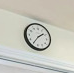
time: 1:35
